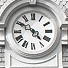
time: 4:49
